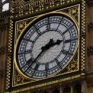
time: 2:38
